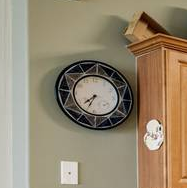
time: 7:34
